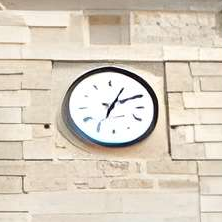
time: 2:04
